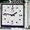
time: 1:46
